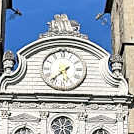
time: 7:37
